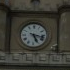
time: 5:17
